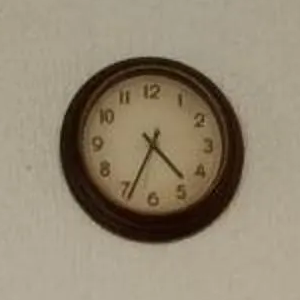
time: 4:34
